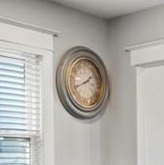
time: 1:41
